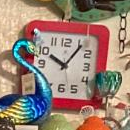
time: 10:06
